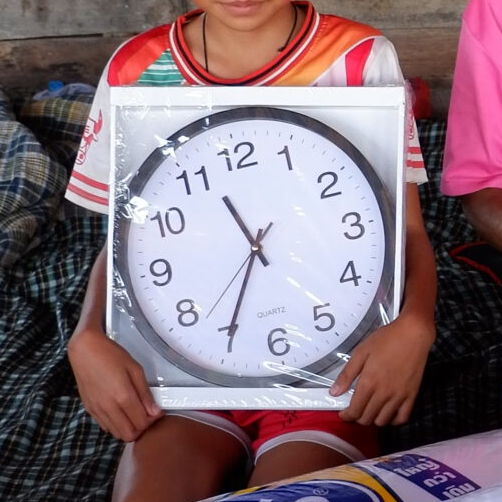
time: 11:35
